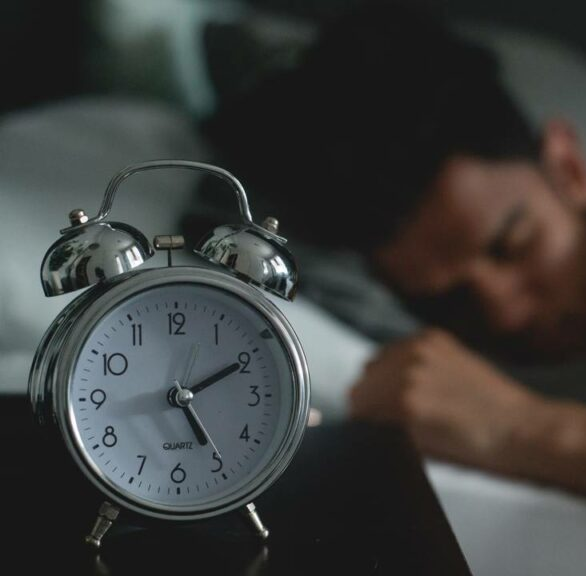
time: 5:10
